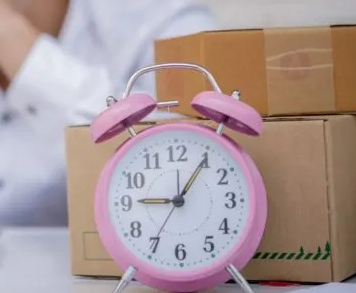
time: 9:05
